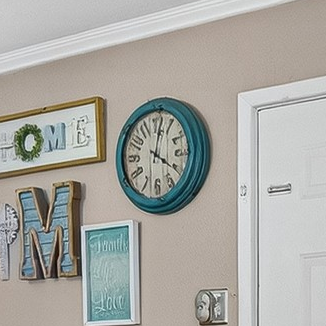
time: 4:01
